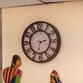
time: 2:32
